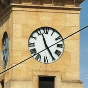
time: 11:25
